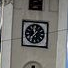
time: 11:35
